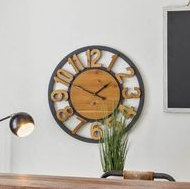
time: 1:49
